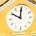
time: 10:00
